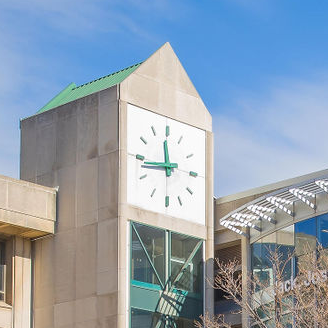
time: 11:43
